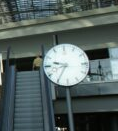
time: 9:35
